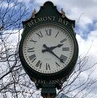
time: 2:21
